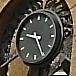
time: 9:25
